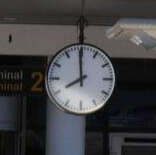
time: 7:59
